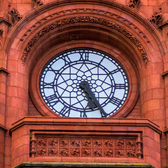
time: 5:24
